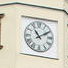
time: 11:09
